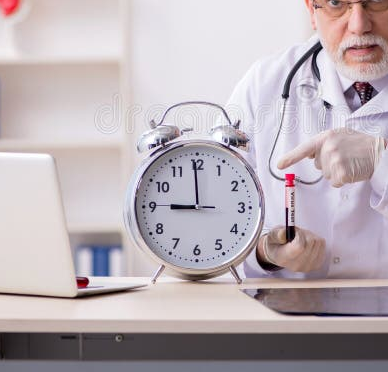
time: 8:59
